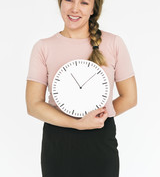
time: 11:09
